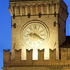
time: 9:20
